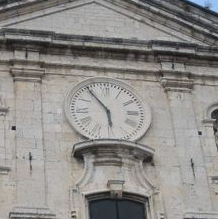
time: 5:54
